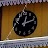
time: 12:12
